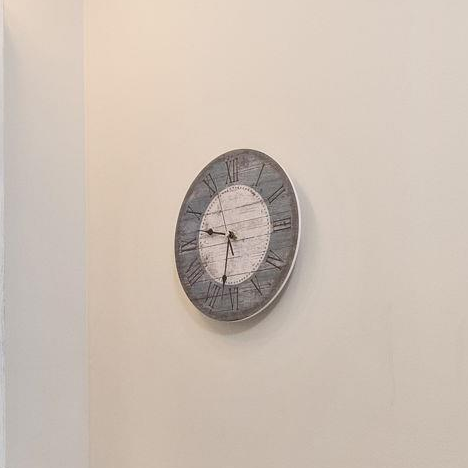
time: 9:32
